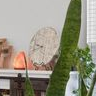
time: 9:42
